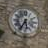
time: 5:34
